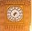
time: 7:32
